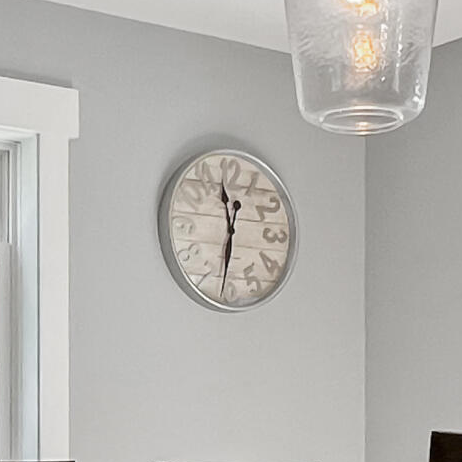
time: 11:31
